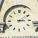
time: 3:09
